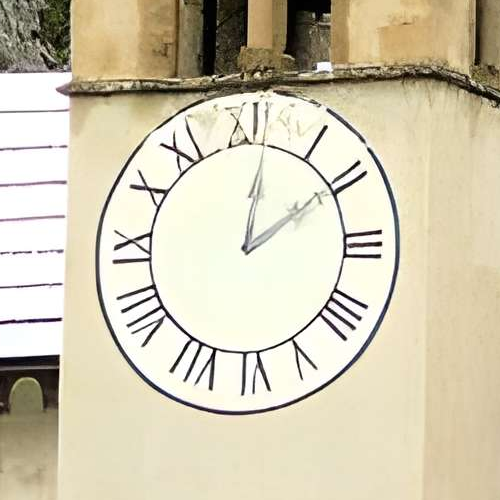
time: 12:09
